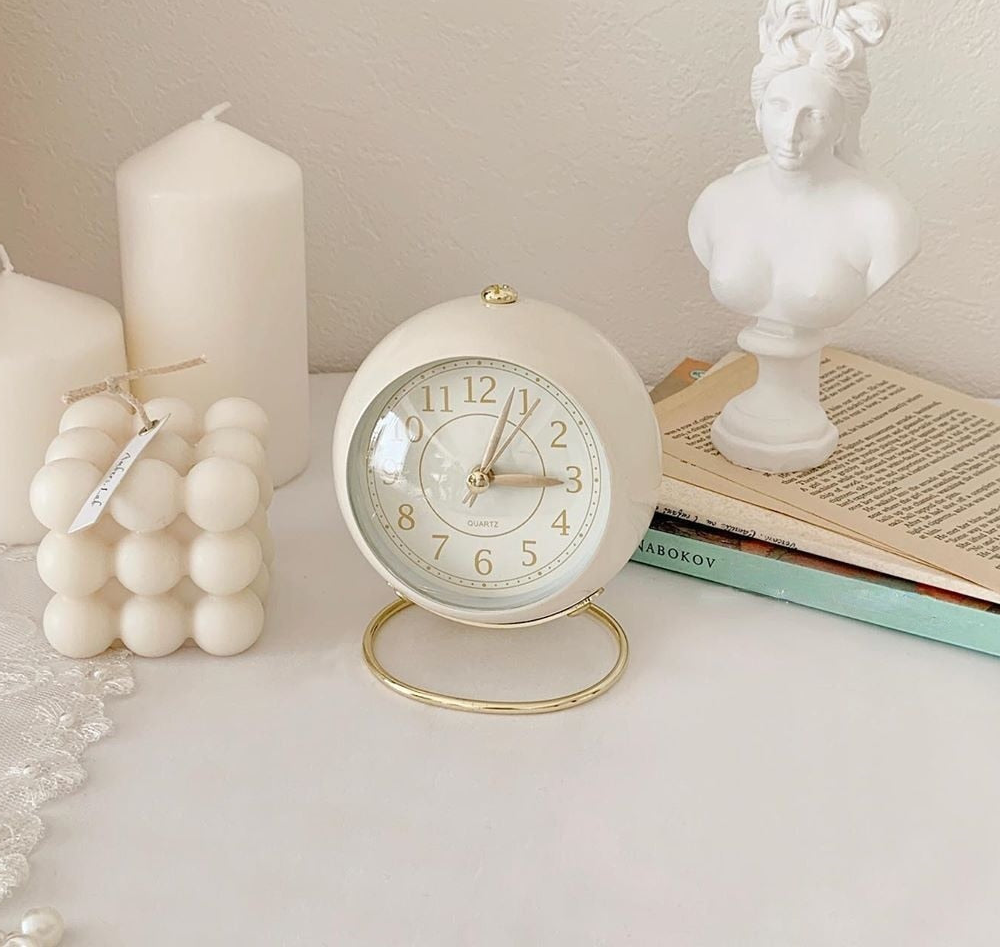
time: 3:03
